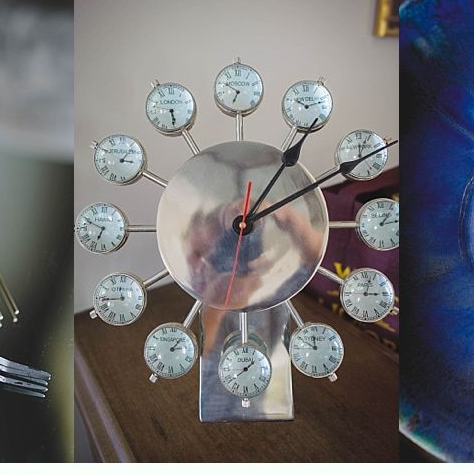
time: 1:11
